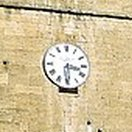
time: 3:29
